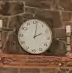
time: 2:01
